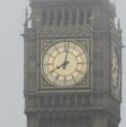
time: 8:01
